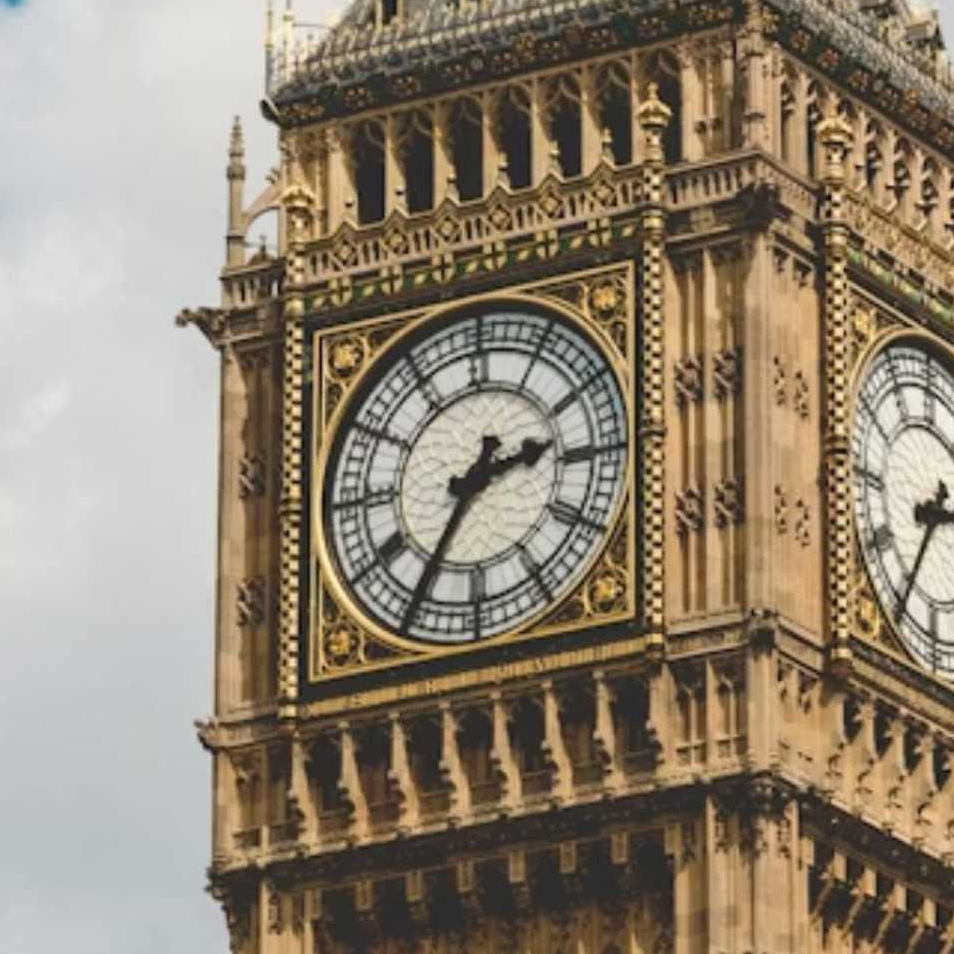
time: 2:35
